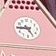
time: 4:44
